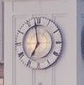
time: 6:58
